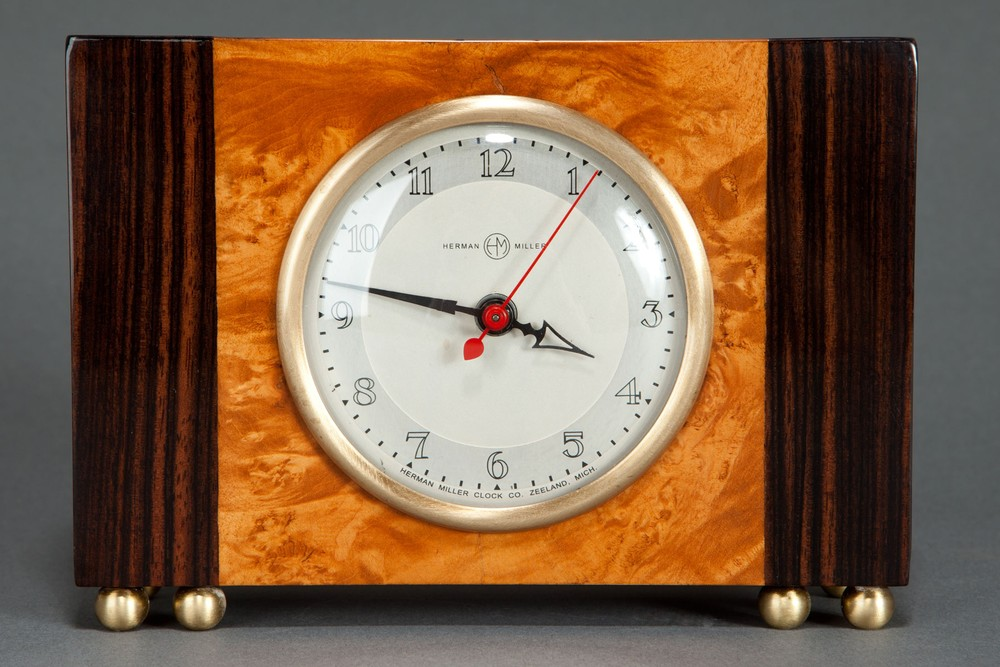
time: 3:47
